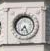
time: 7:25
